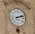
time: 2:11
